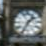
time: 1:34
